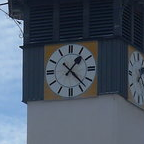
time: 1:22
